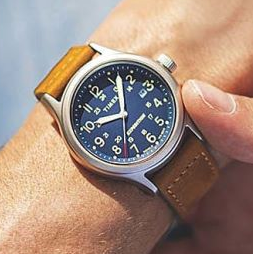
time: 7:57
